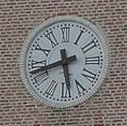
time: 5:42
